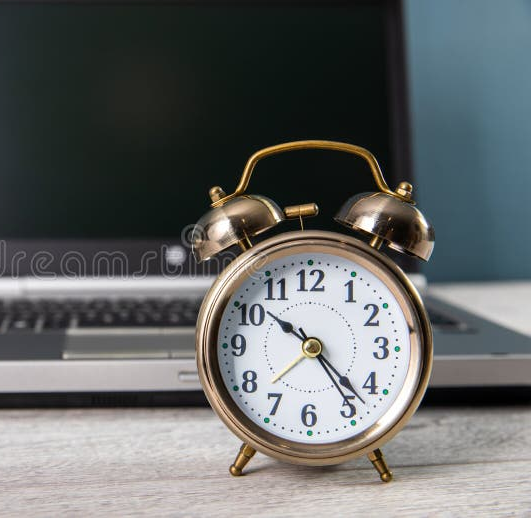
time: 10:23
